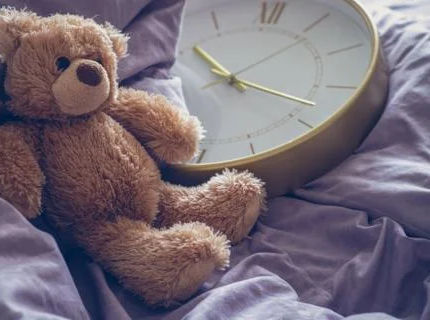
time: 10:17
